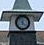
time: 12:22
